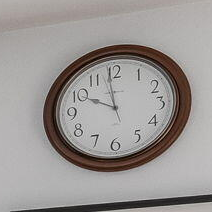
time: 9:58
